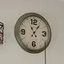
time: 11:06
